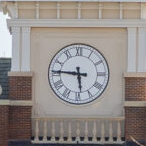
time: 5:45
